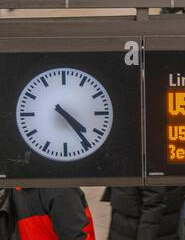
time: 4:23
